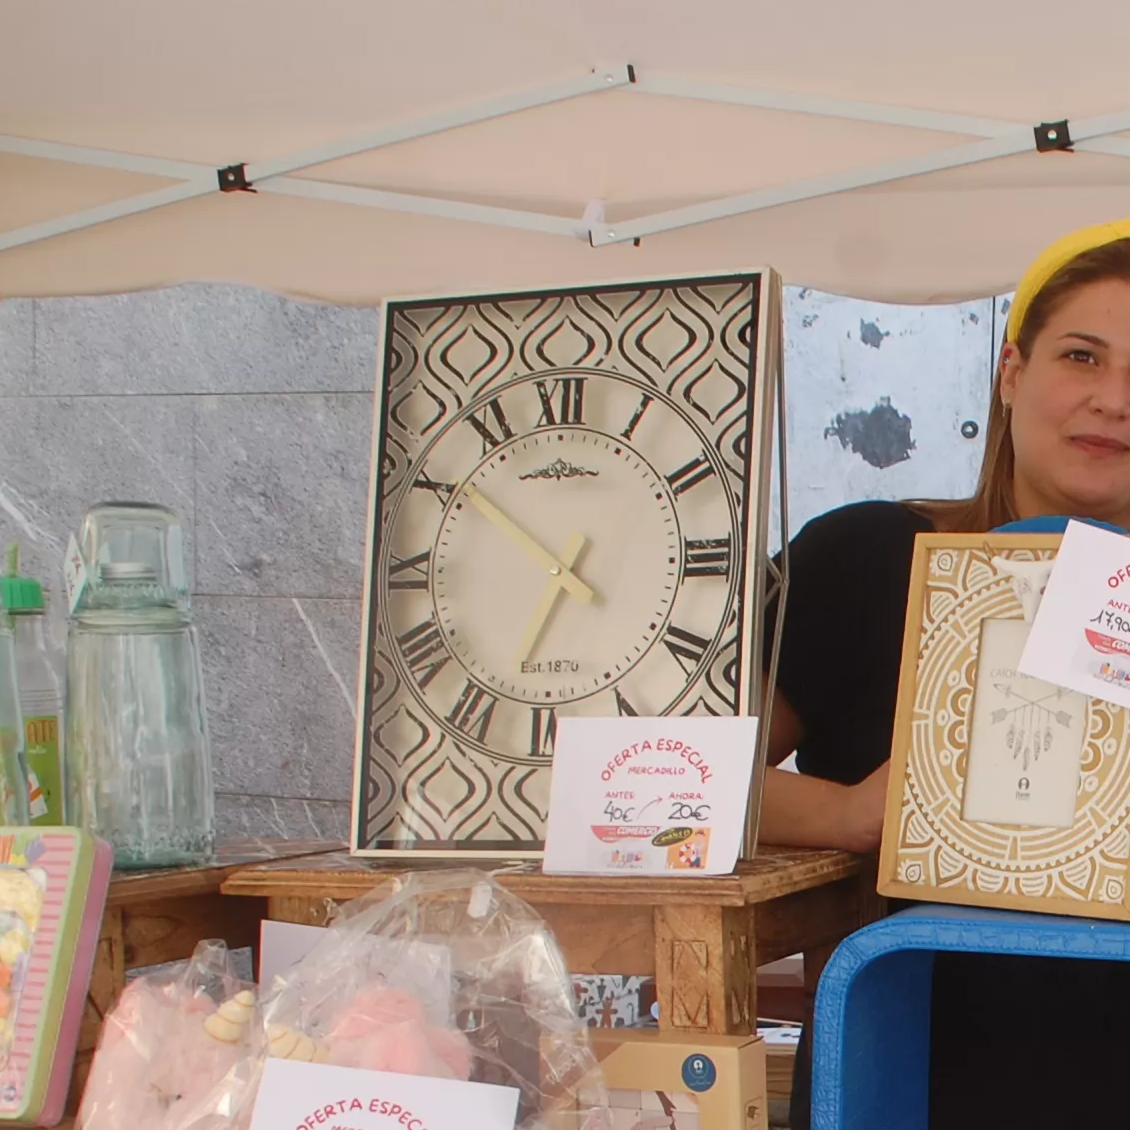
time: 6:50
